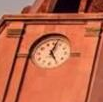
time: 5:02
